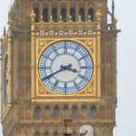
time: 3:40
